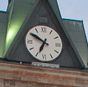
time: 6:50
